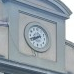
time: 7:41
